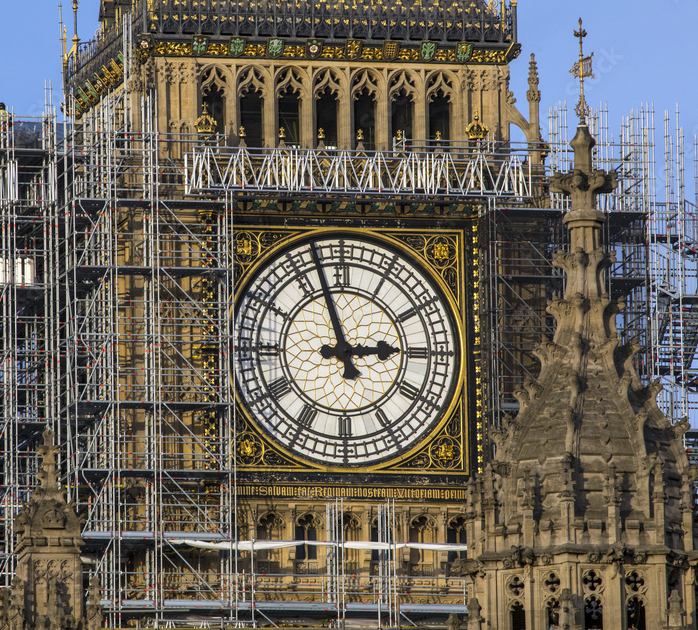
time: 2:56
